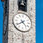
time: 4:38
